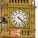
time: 4:22
